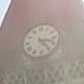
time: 3:23
